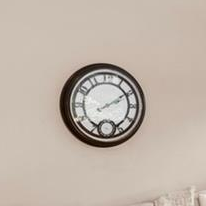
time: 2:09
